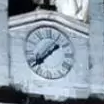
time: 1:38
